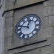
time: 12:47
